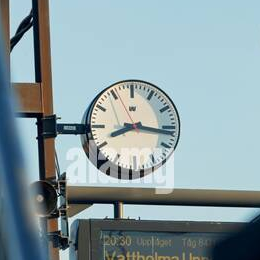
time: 8:16
